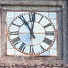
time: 11:01
